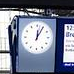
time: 12:05
